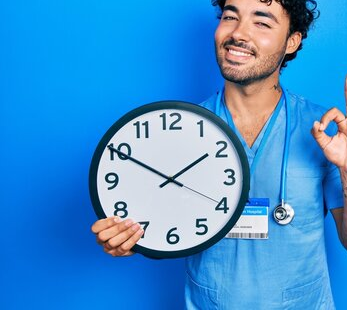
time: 1:50
